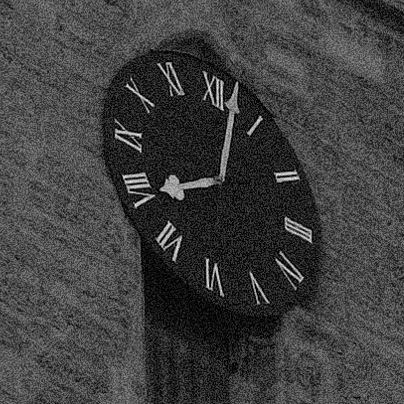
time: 8:02
